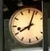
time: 8:03
